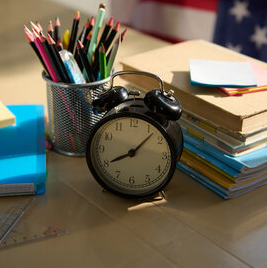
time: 8:07
